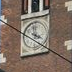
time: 3:58
